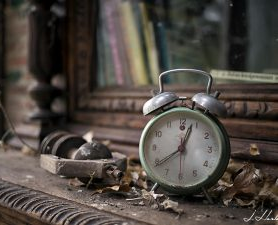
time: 12:38
